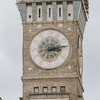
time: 3:13
